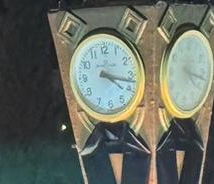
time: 4:17
